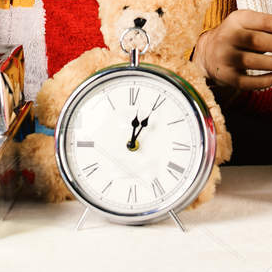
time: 12:04
